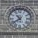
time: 10:39
